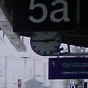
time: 2:45
